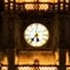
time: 5:36
